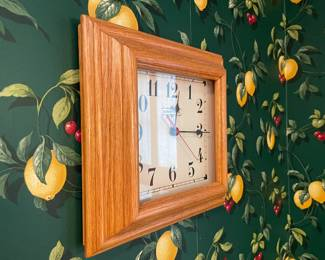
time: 12:15
